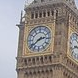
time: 2:38
